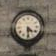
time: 4:29
